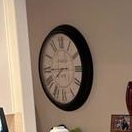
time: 7:44
